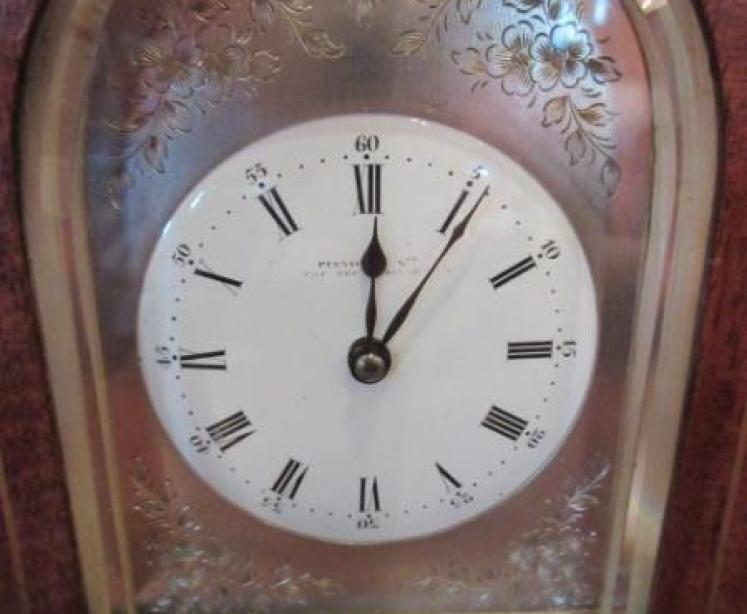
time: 12:05
